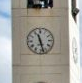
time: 11:27
